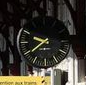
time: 9:39
